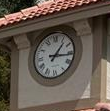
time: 1:16
